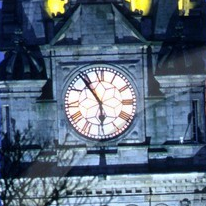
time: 5:54
